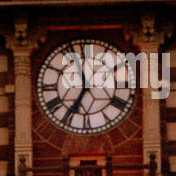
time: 6:58
